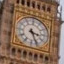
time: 3:26
